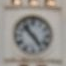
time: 4:53
